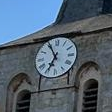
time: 6:55
